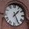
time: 1:25
